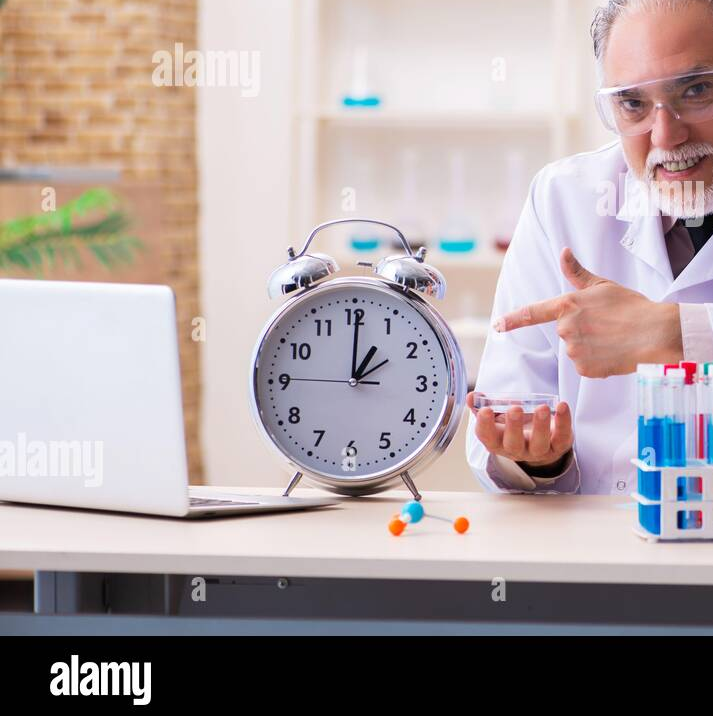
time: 1:00
